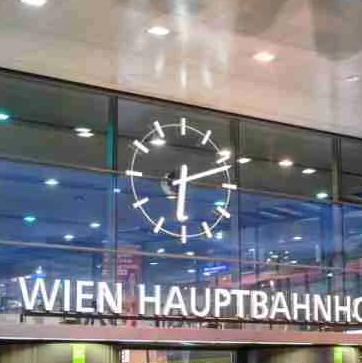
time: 6:11
